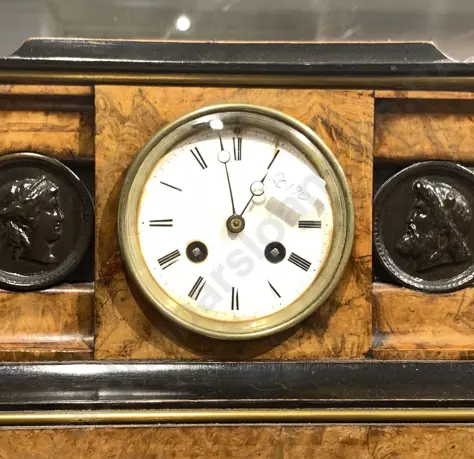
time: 12:58
